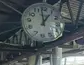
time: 12:58
